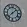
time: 1:37
